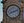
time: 8:11
